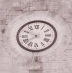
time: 7:50
